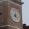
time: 4:02
